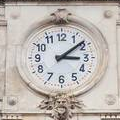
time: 3:08
